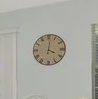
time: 4:01
